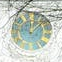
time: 12:07
